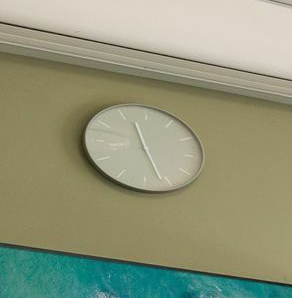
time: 11:26
